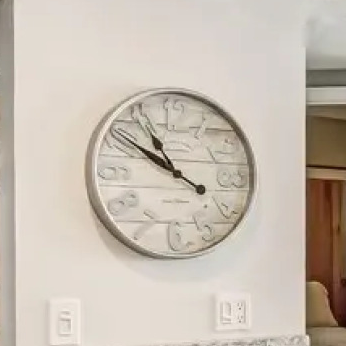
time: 10:50
